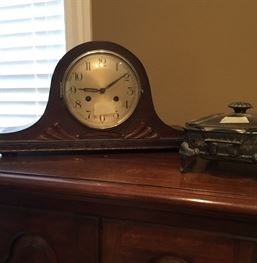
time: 9:09
